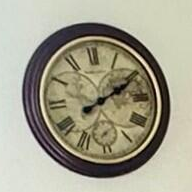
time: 2:09
